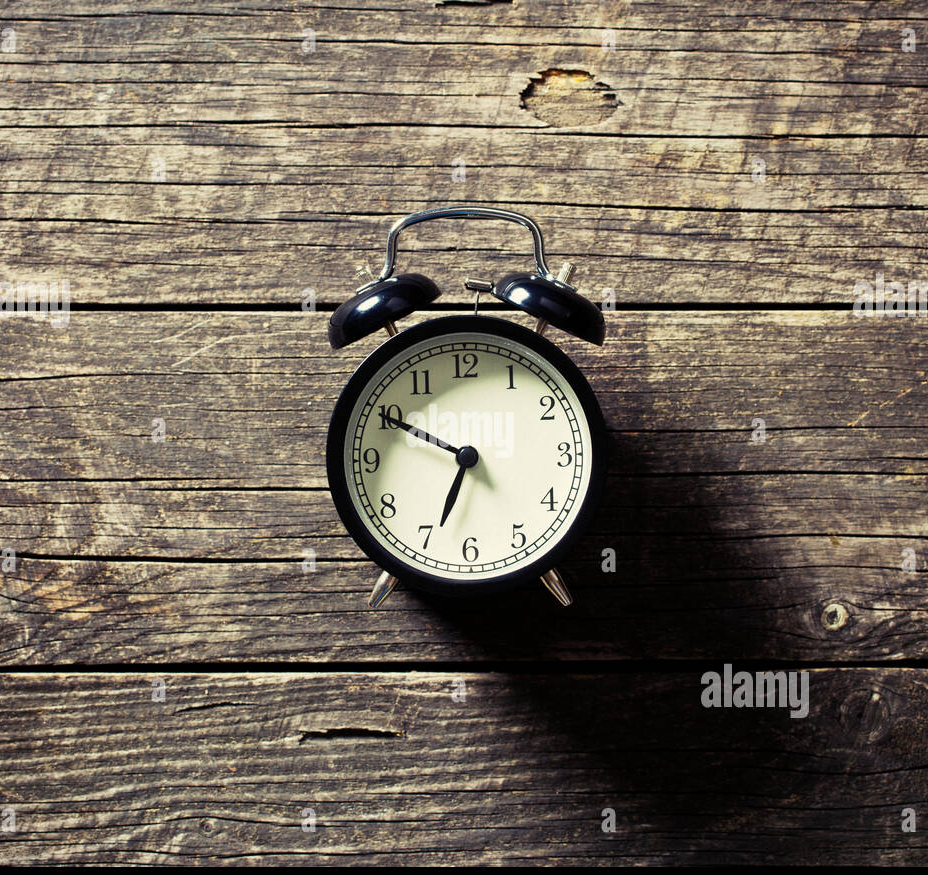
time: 6:49
